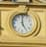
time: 4:59
